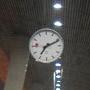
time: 7:11
